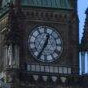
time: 12:34
